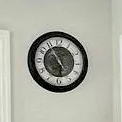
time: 5:54
